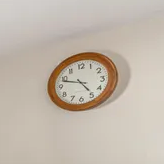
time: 4:48
